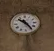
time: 10:24
